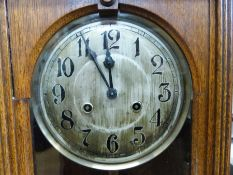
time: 11:55
